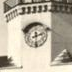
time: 2:29
